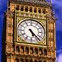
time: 5:23
